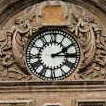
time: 2:15
